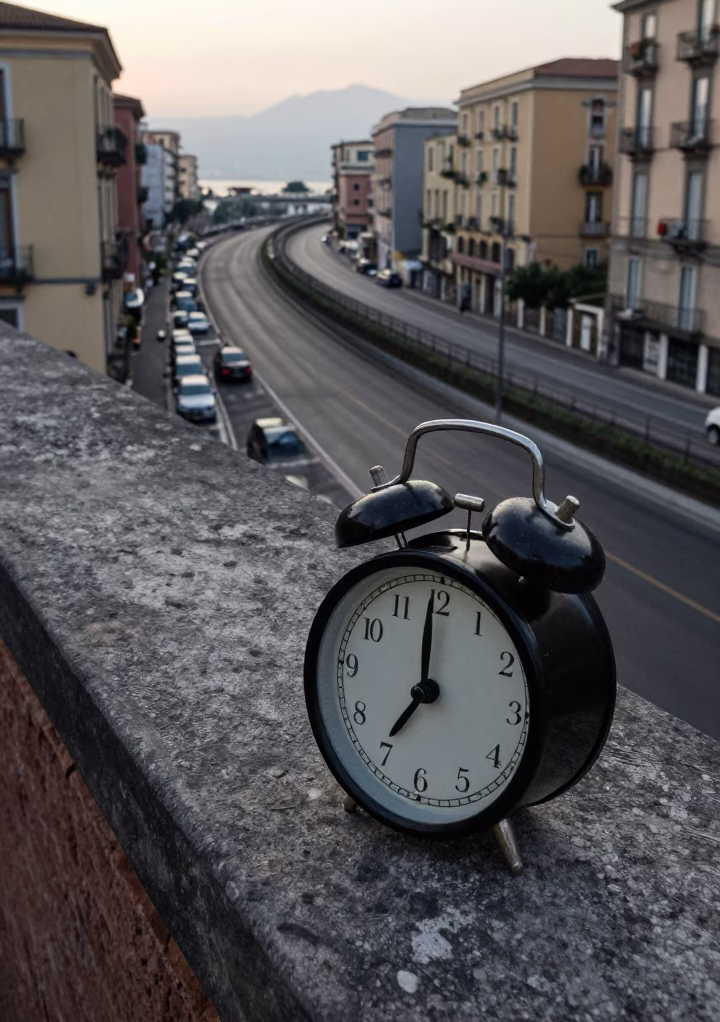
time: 6:59
